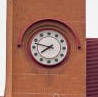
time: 7:47
